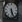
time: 5:26
